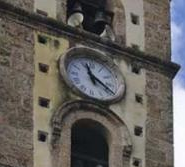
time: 11:21
